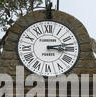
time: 3:12
